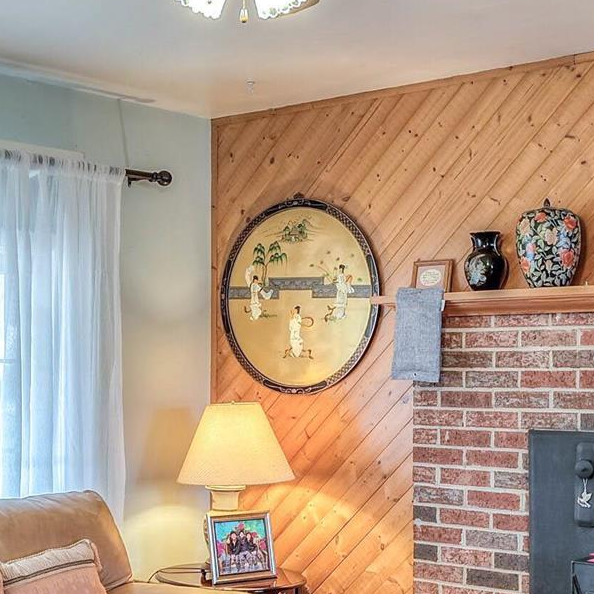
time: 5:45
